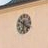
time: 6:21
